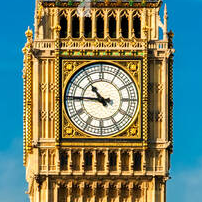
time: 10:45
